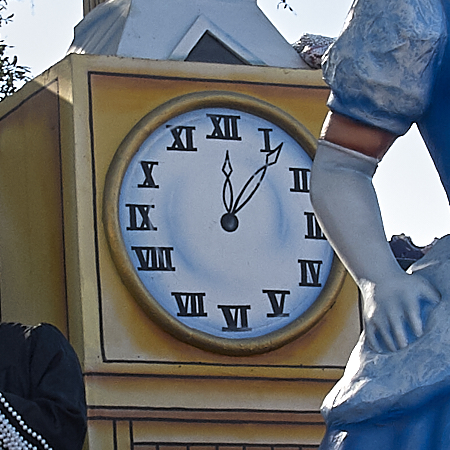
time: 12:06
